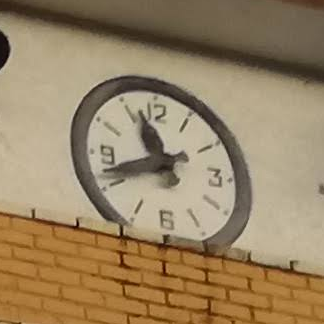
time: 11:41
